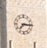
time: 7:15
